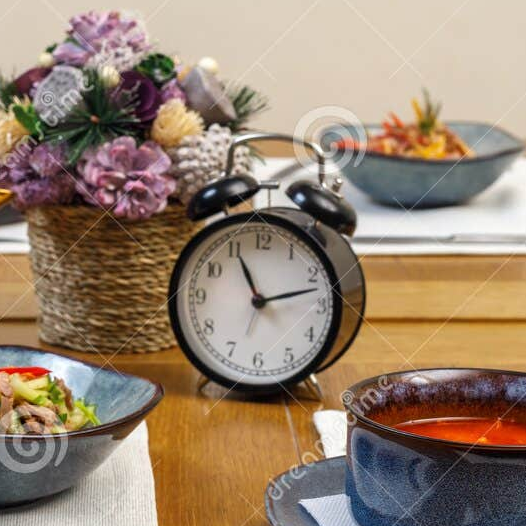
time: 11:12
